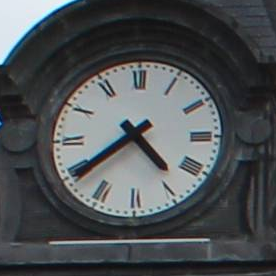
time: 4:38
